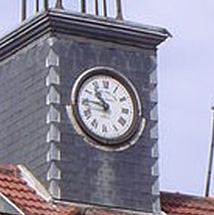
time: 10:45
